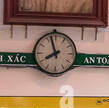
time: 7:57
